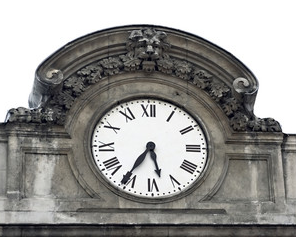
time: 5:35
